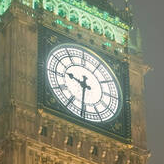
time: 9:30
